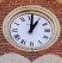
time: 1:01
